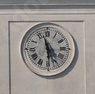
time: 11:29
